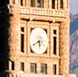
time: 5:40
